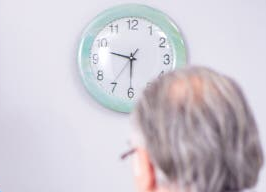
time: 9:30
